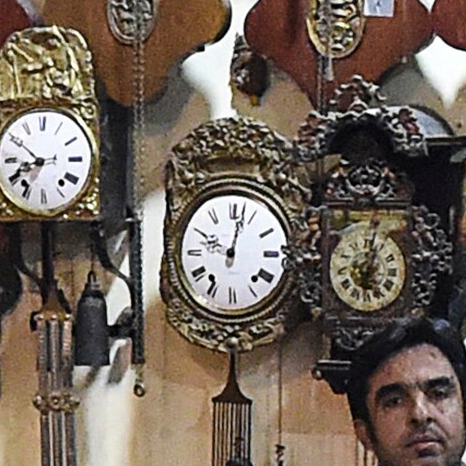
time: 10:02
